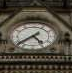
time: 4:38
